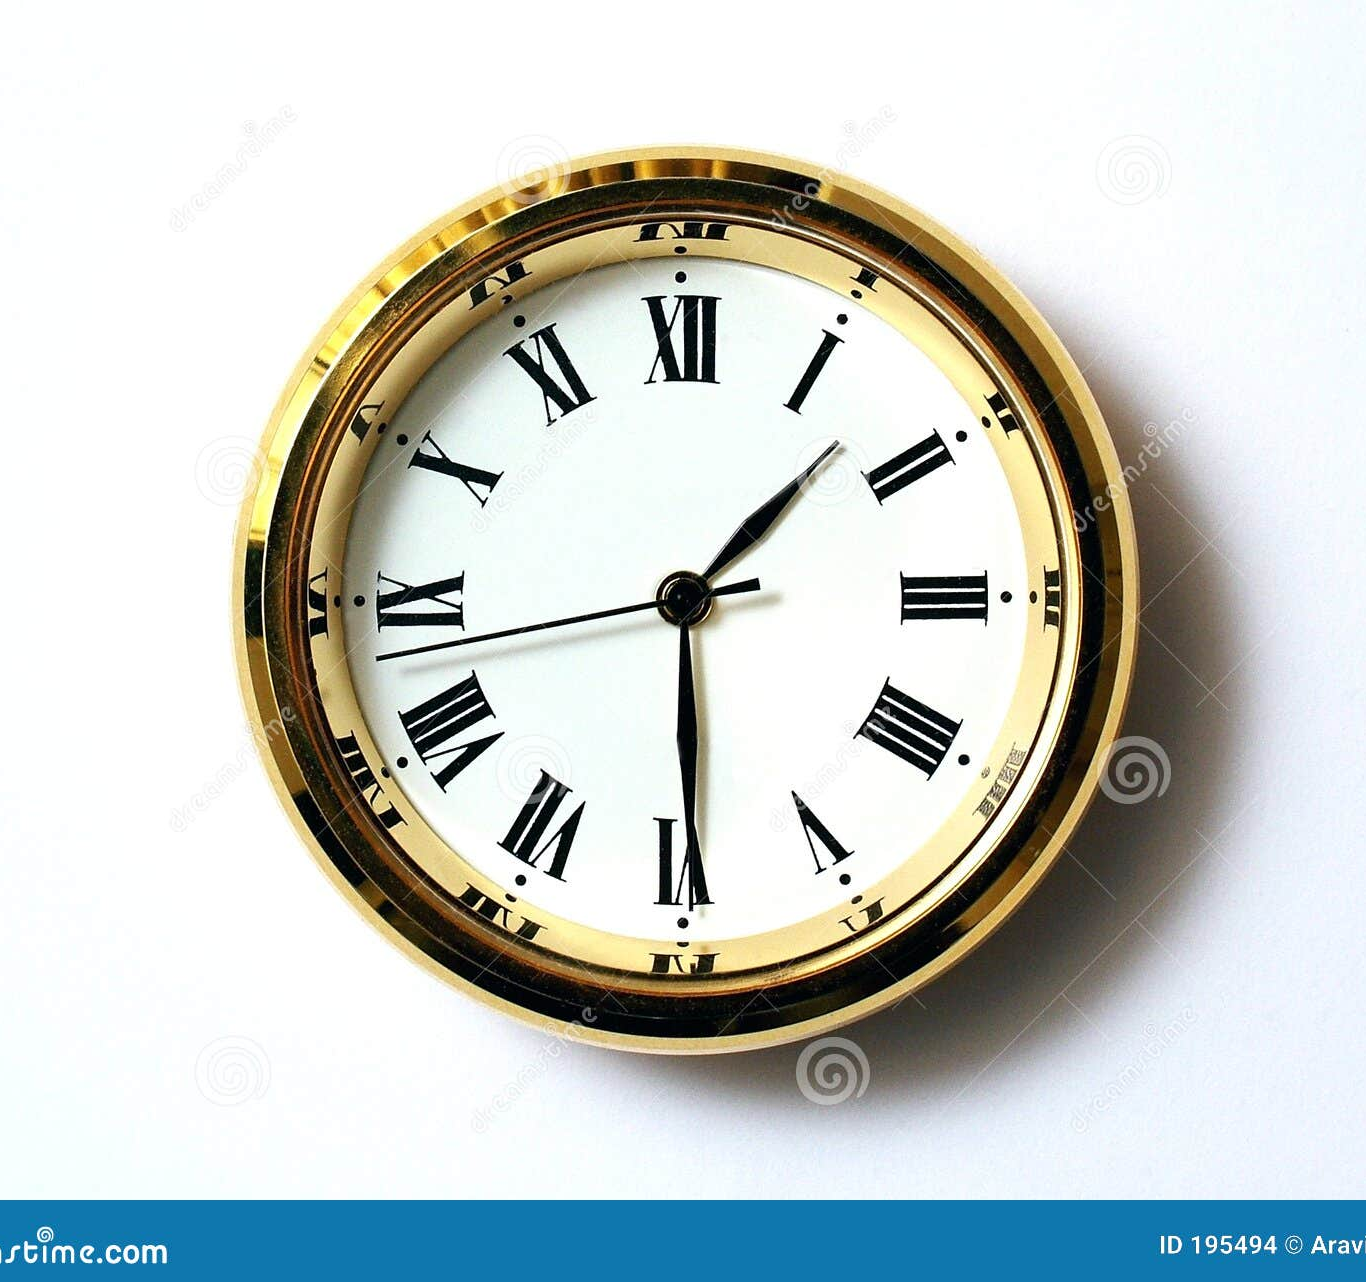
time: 1:29
